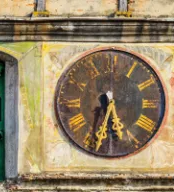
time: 5:33
